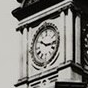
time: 10:15
